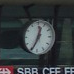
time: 12:34
